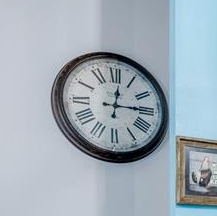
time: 12:14
